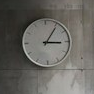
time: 3:05
